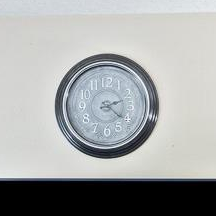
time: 2:21
